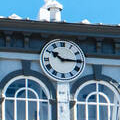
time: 10:15
